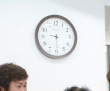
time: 9:29
